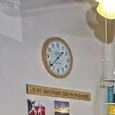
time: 1:37
